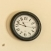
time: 10:47
